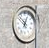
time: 12:52
